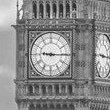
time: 9:15
